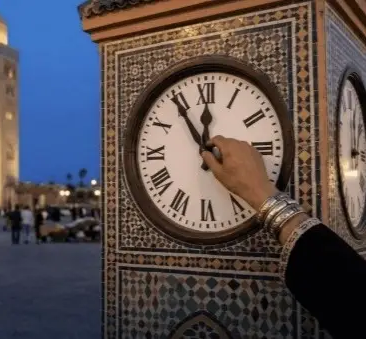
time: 11:54
